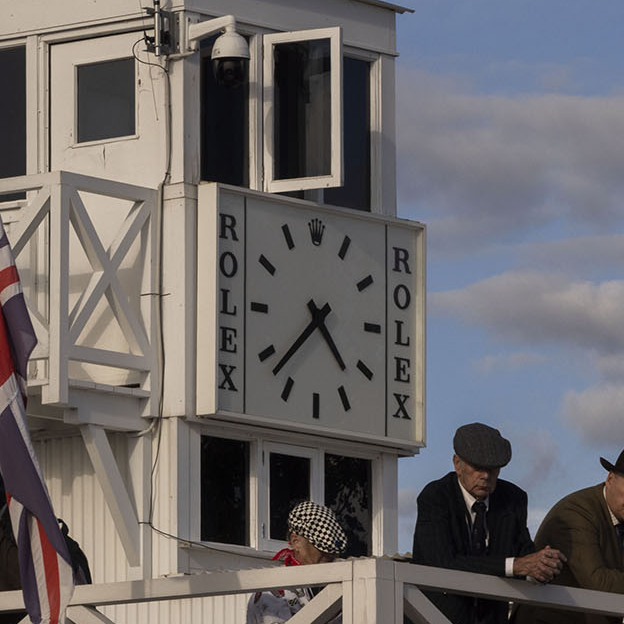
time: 4:37
